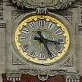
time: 3:25
